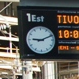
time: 9:11
